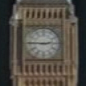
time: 2:45
